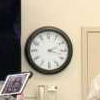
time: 2:17
